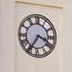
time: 3:35
